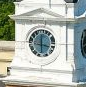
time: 3:29
